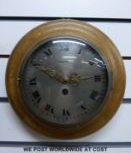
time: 2:49
